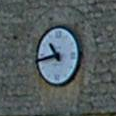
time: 10:43
